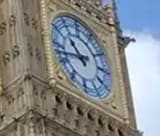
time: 10:42
